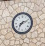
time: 7:11
